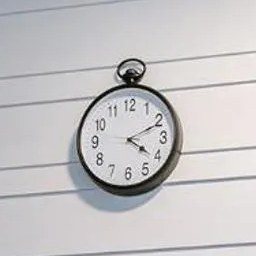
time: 4:11
